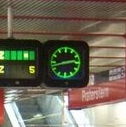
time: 2:42
